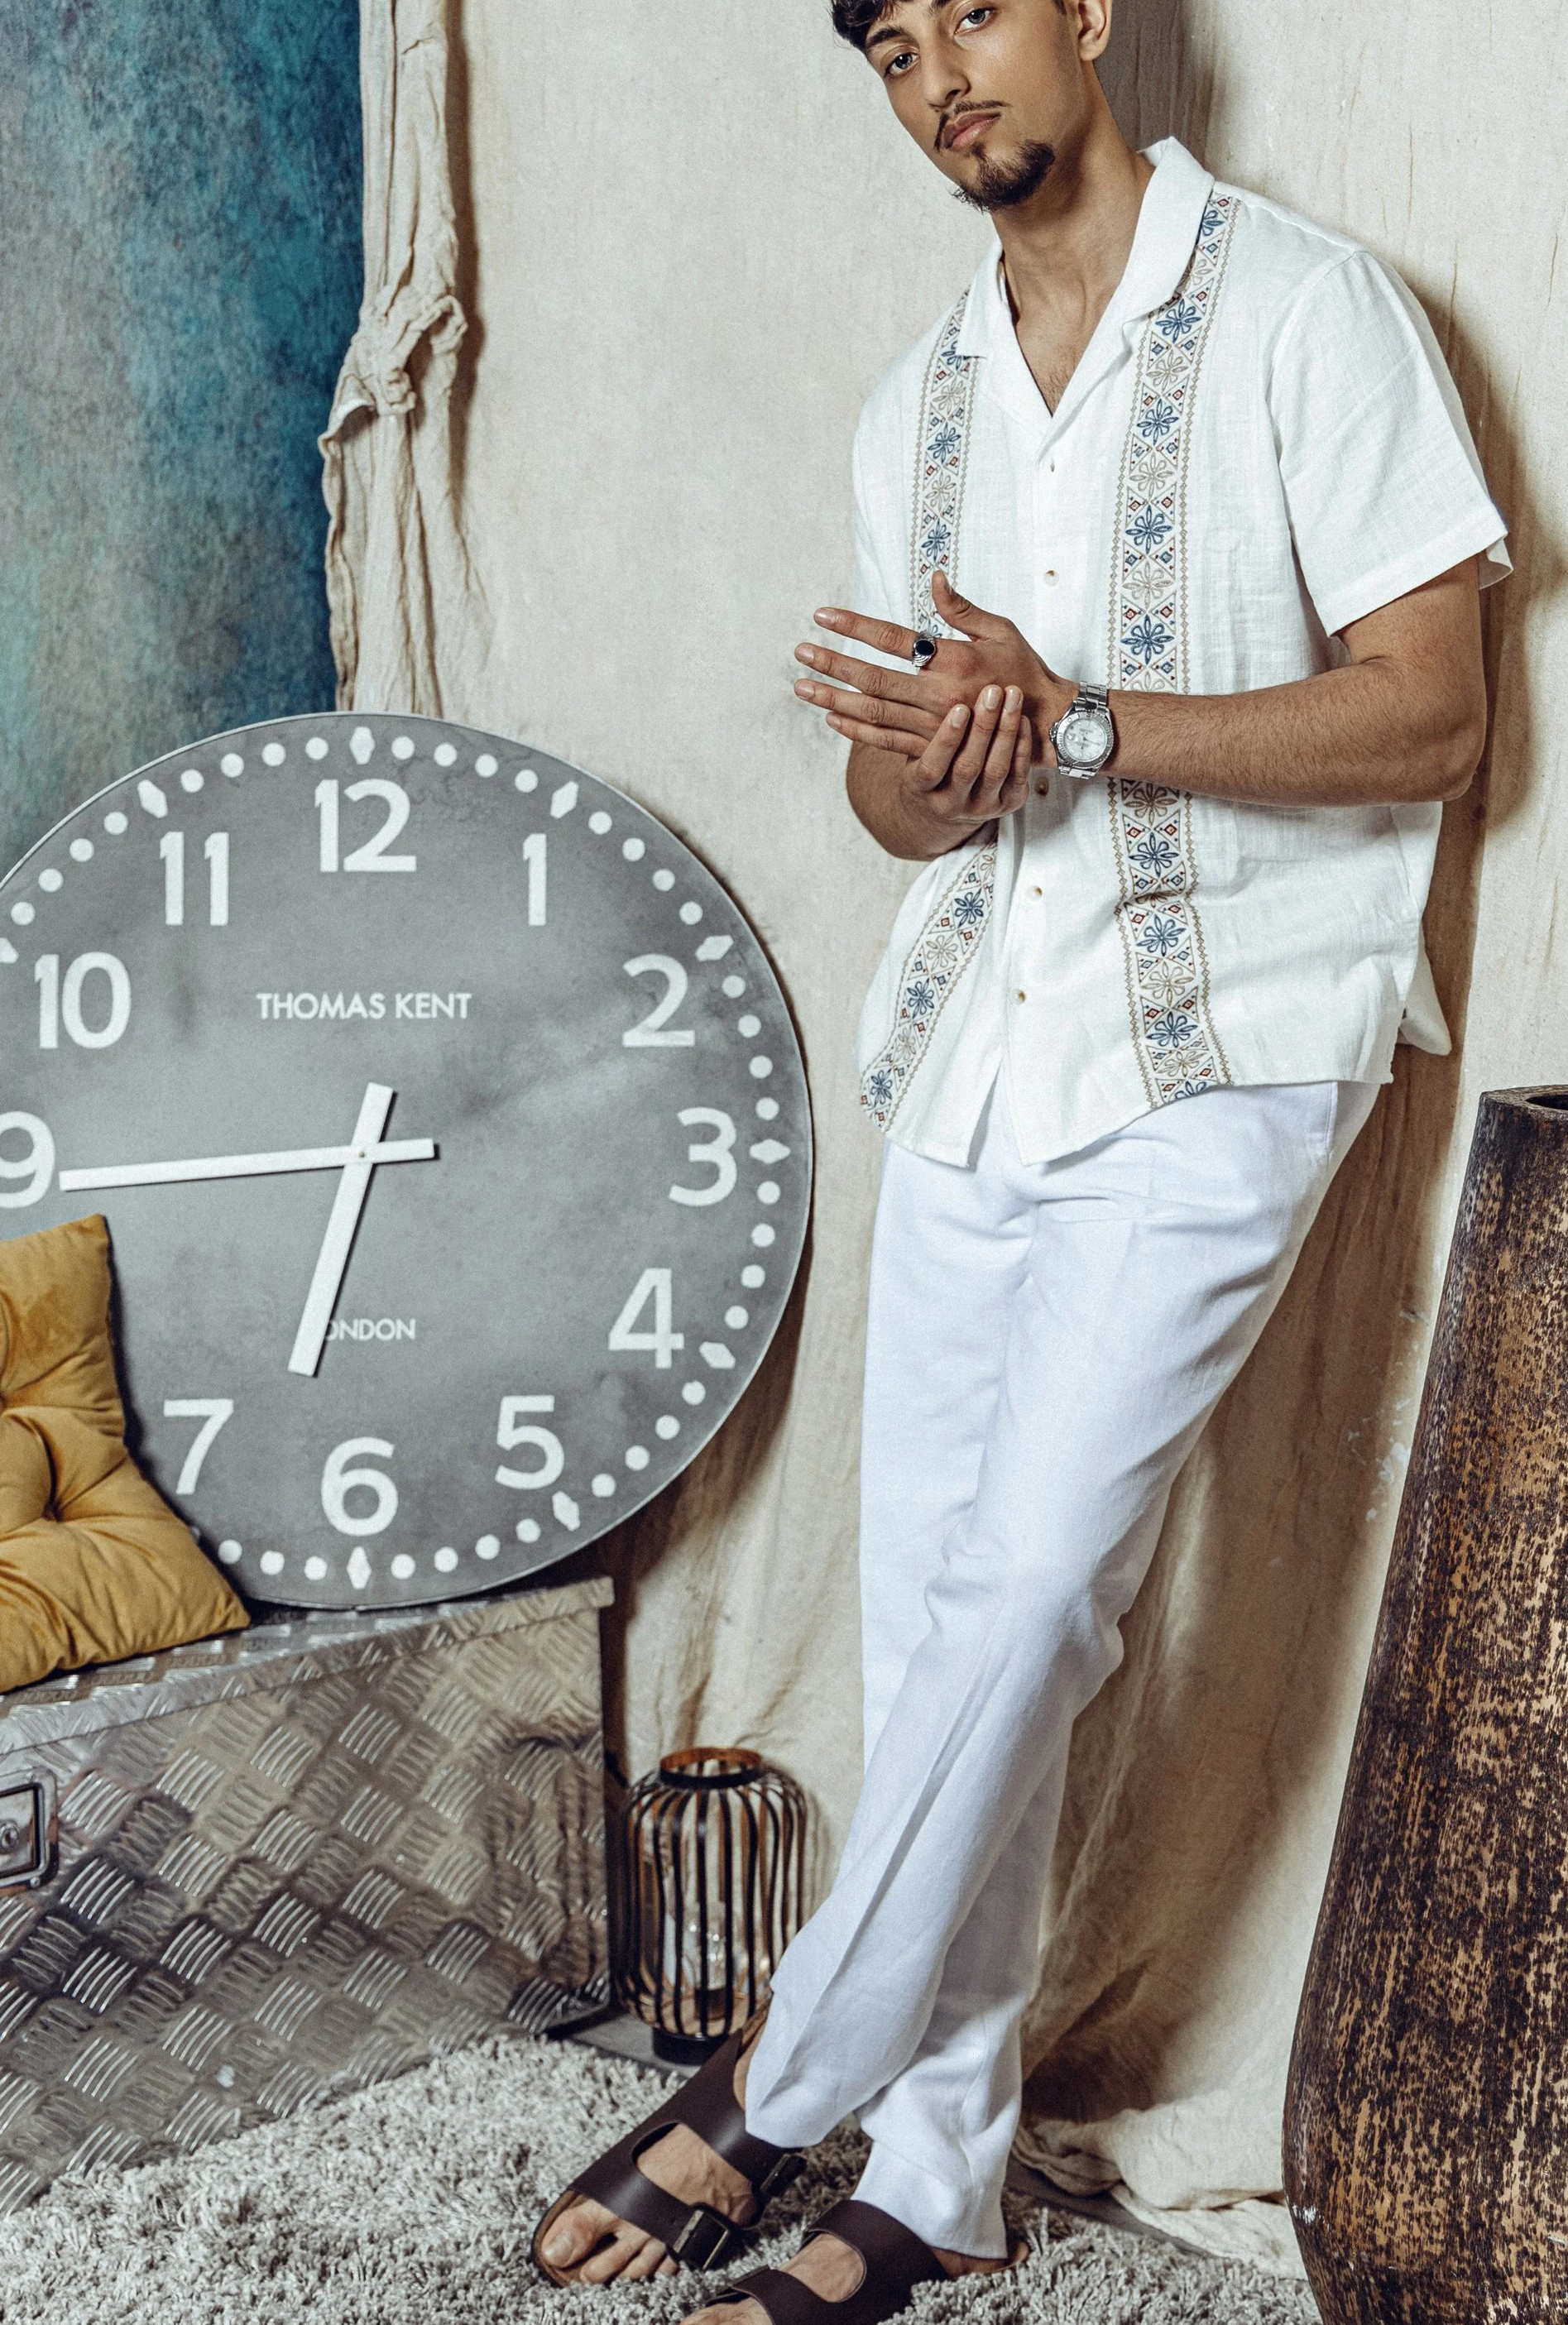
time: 6:44
